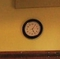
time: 5:05
